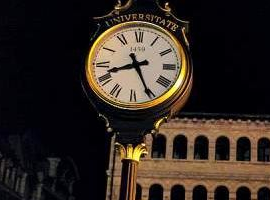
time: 8:25
